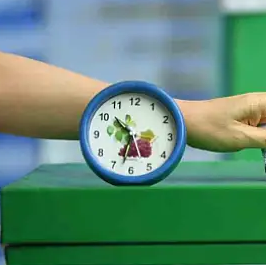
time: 10:32
